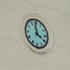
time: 3:58
